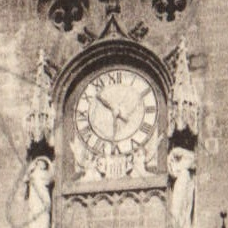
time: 10:31
